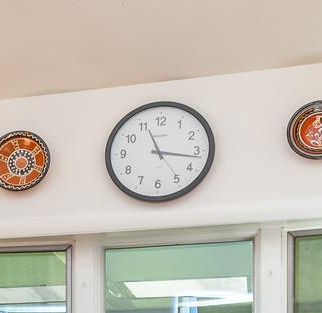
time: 11:16
